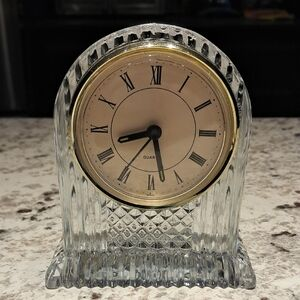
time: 8:27
